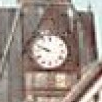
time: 9:48
